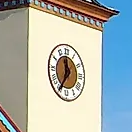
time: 11:35
